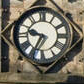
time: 9:34
